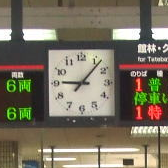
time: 9:07
